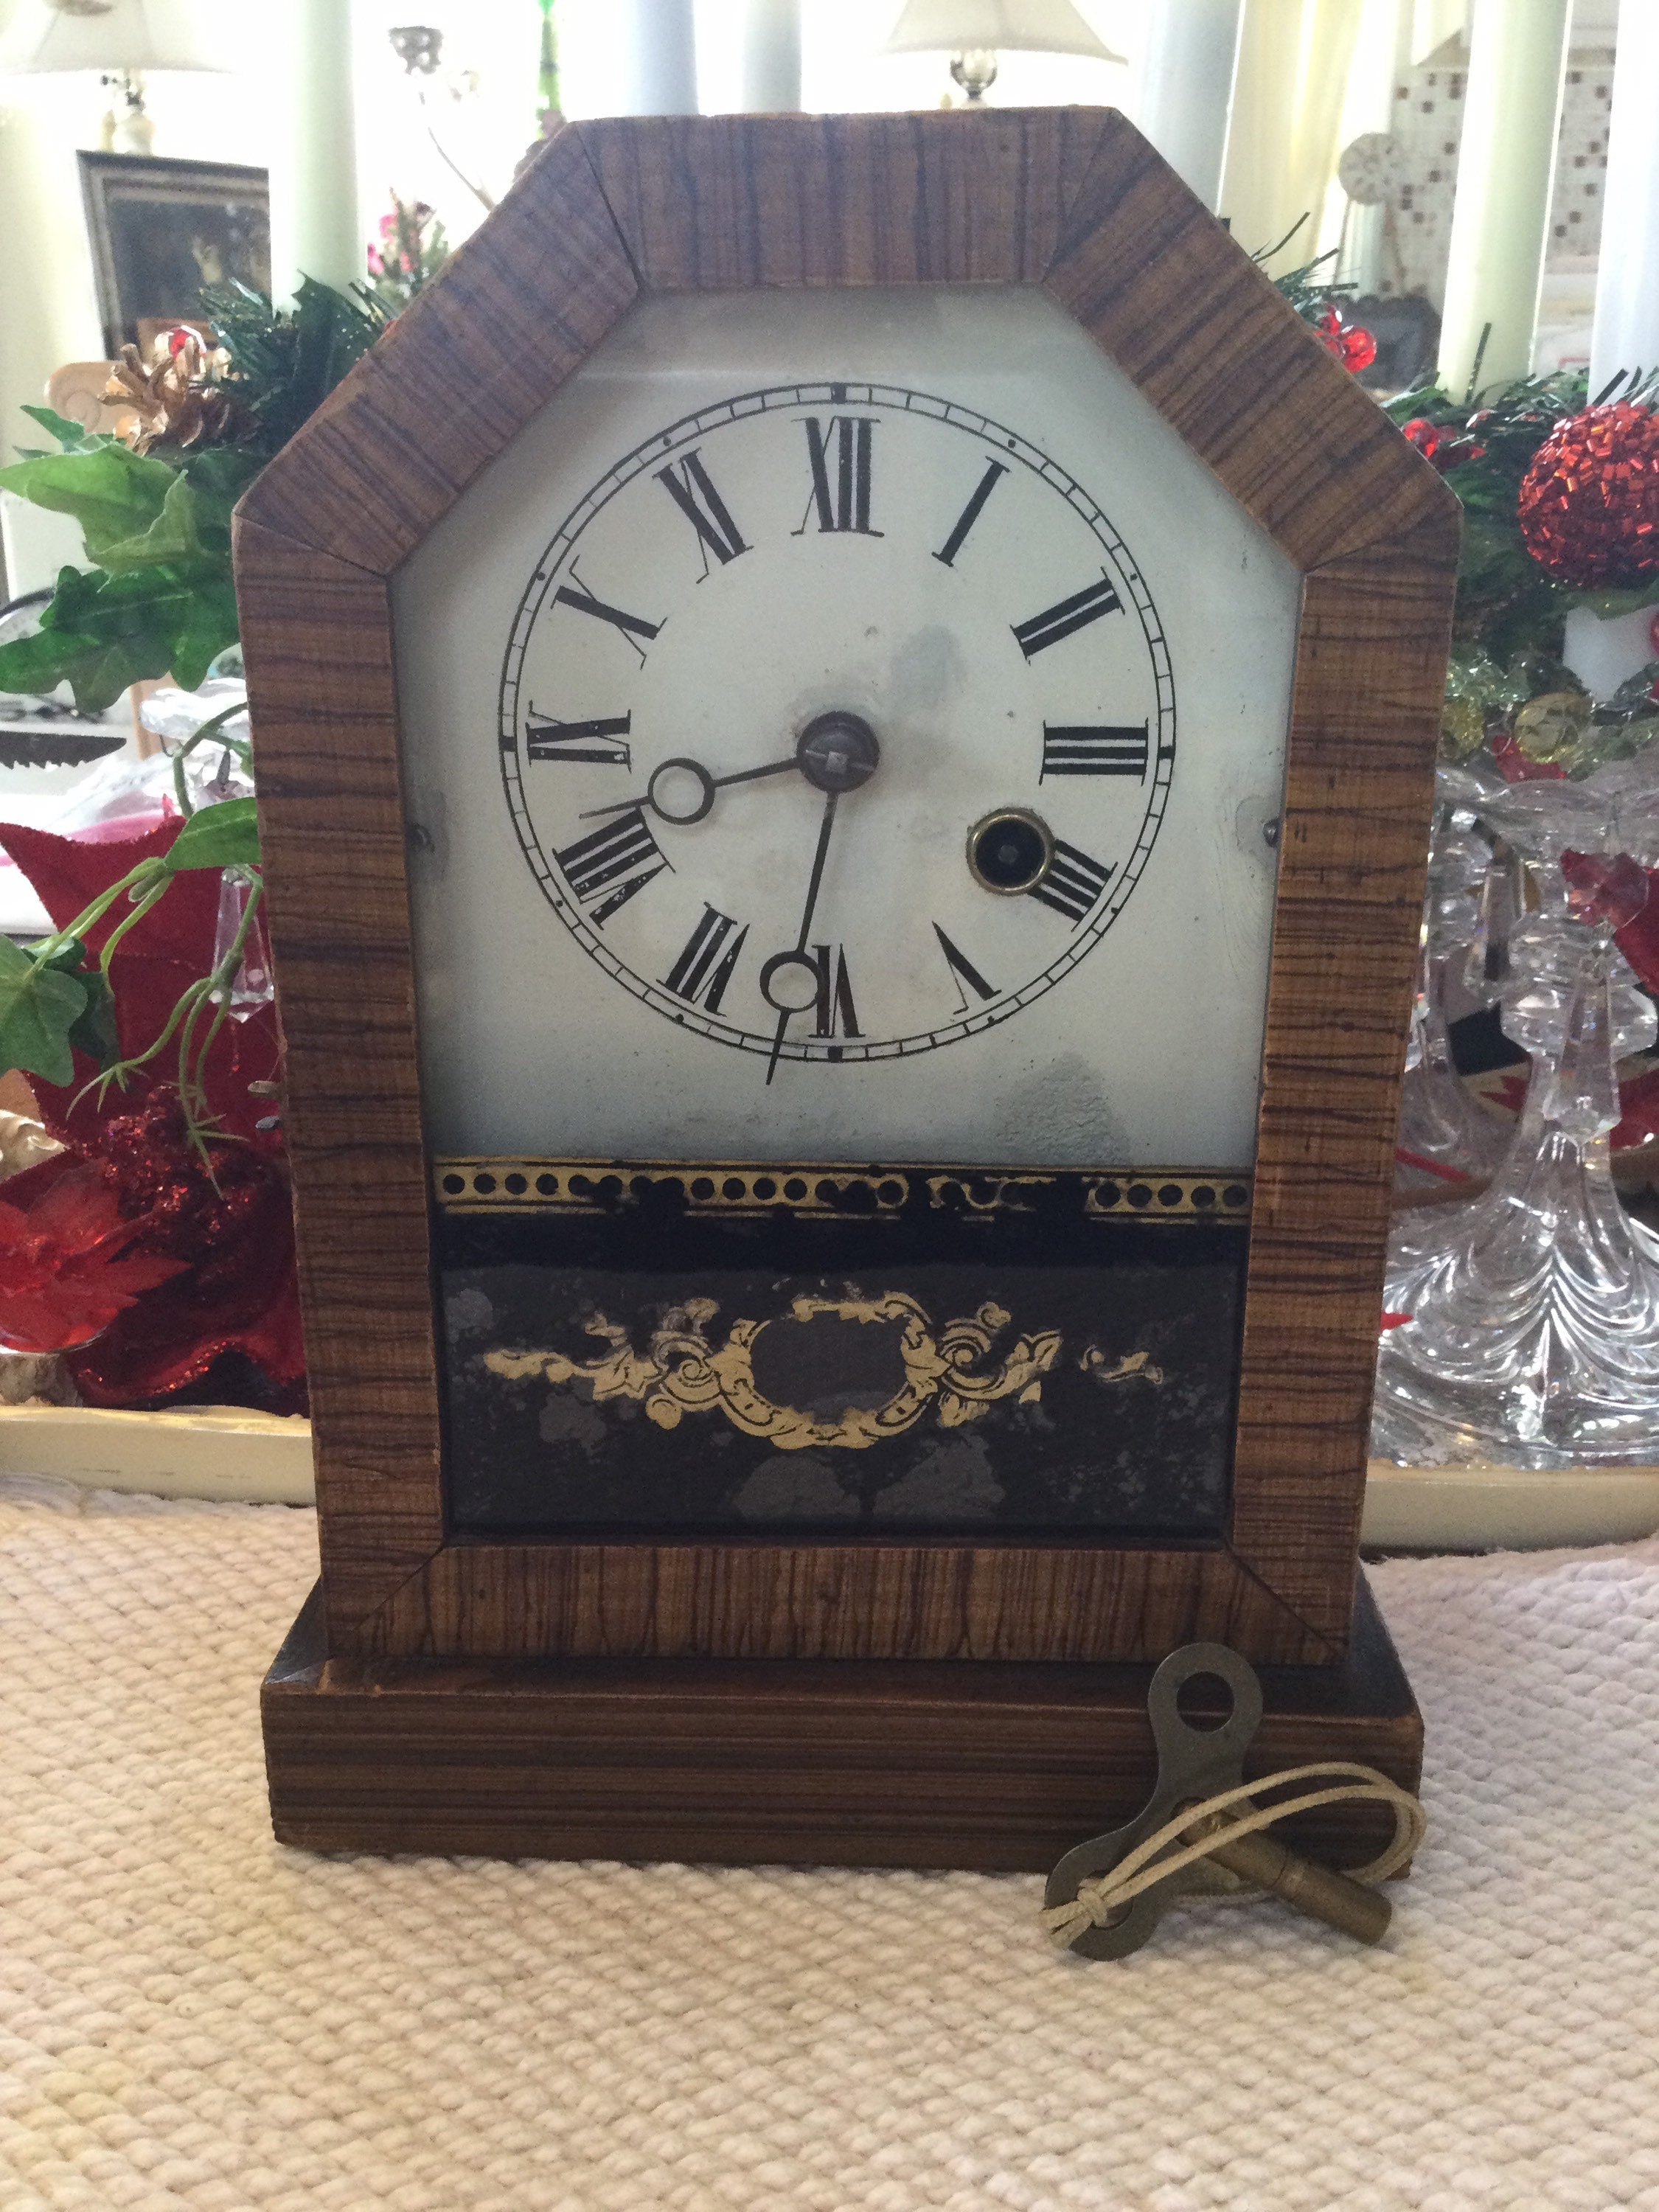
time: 8:31
